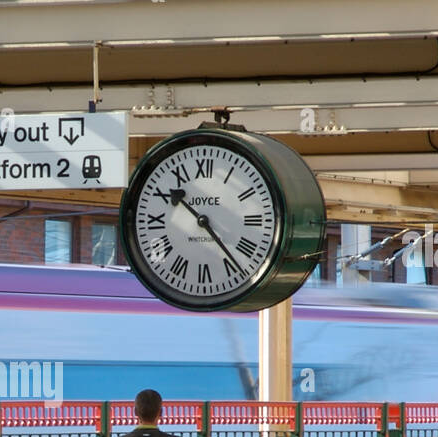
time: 10:23
